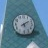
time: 5:09
